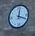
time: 12:18
